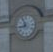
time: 8:56
